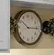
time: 10:15
